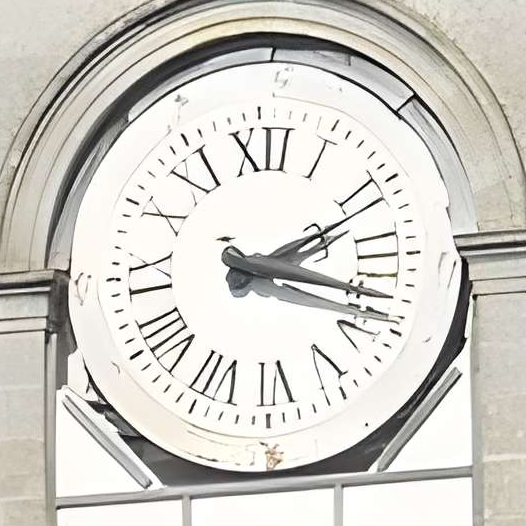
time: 2:18
